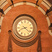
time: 8:21
